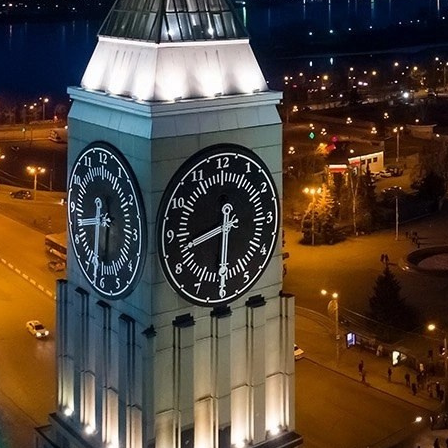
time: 8:30
